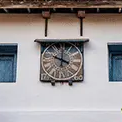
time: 10:00
